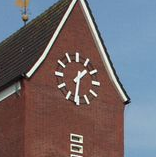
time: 1:32
